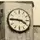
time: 3:45
